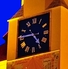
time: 4:45
